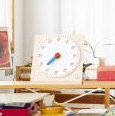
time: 7:37
